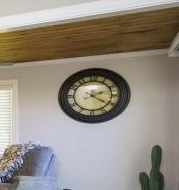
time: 2:21
